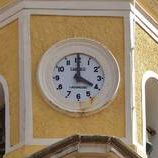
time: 4:00
